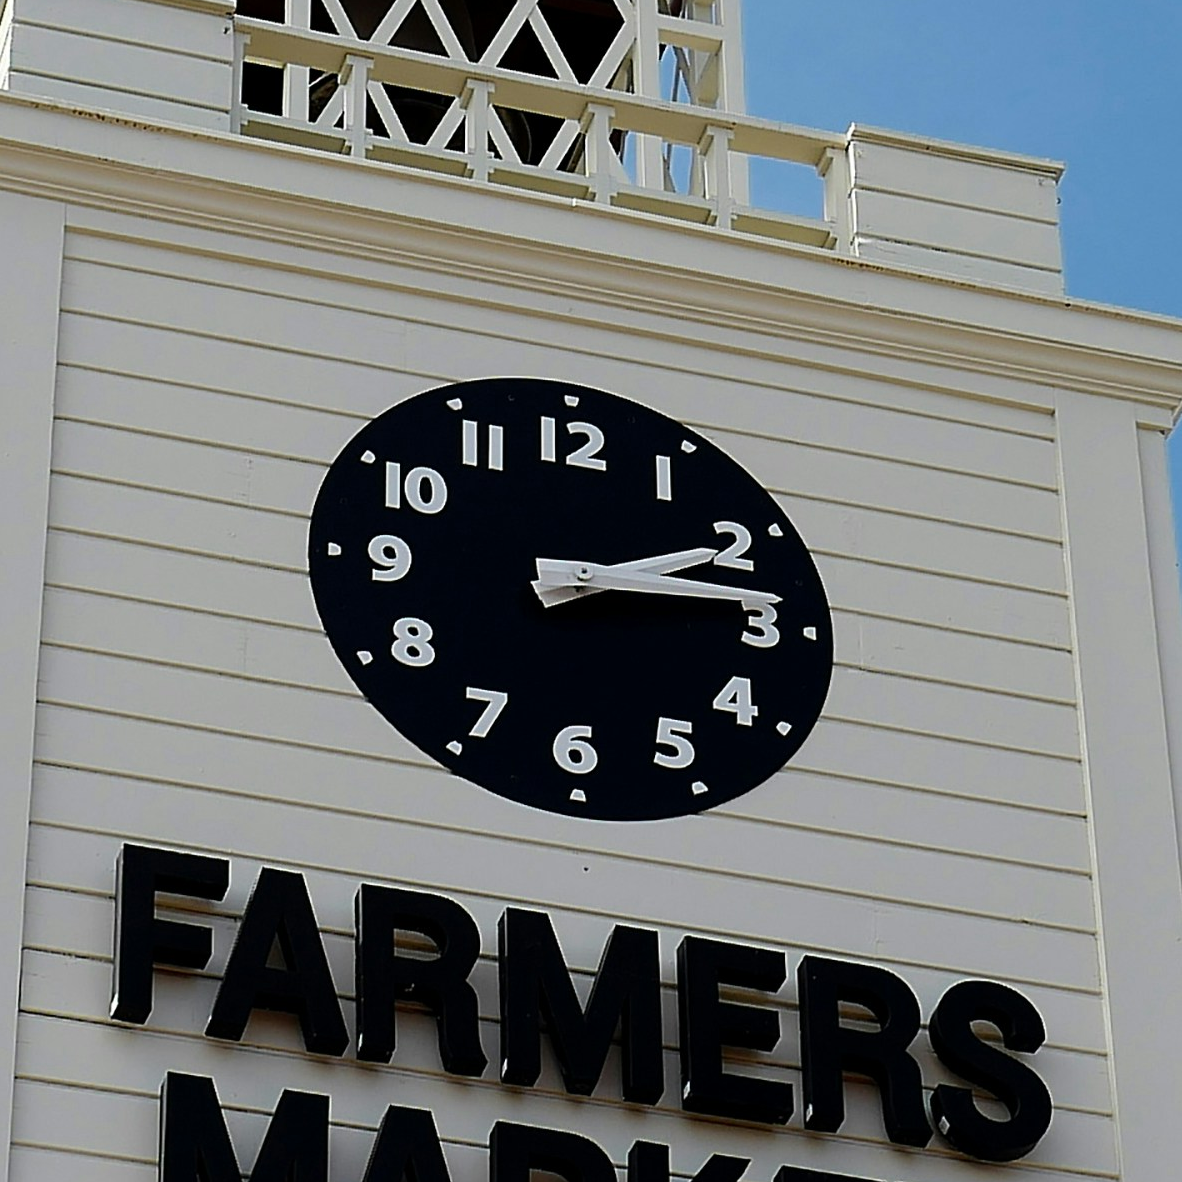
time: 2:13
